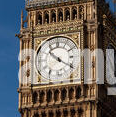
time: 10:20
